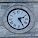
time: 2:25
